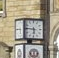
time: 5:45
